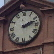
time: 2:12
